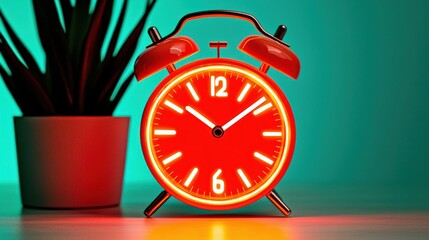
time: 10:08
